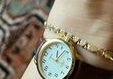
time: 12:07
